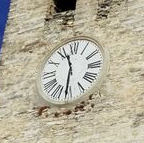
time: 11:31
